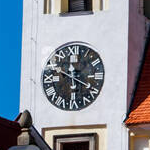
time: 3:48
